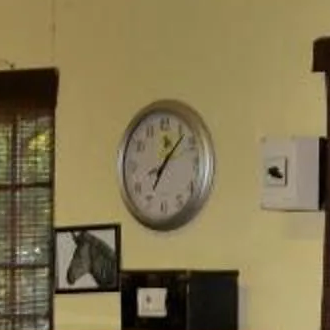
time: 7:07
